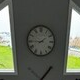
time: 1:45
